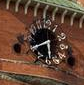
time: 5:40
